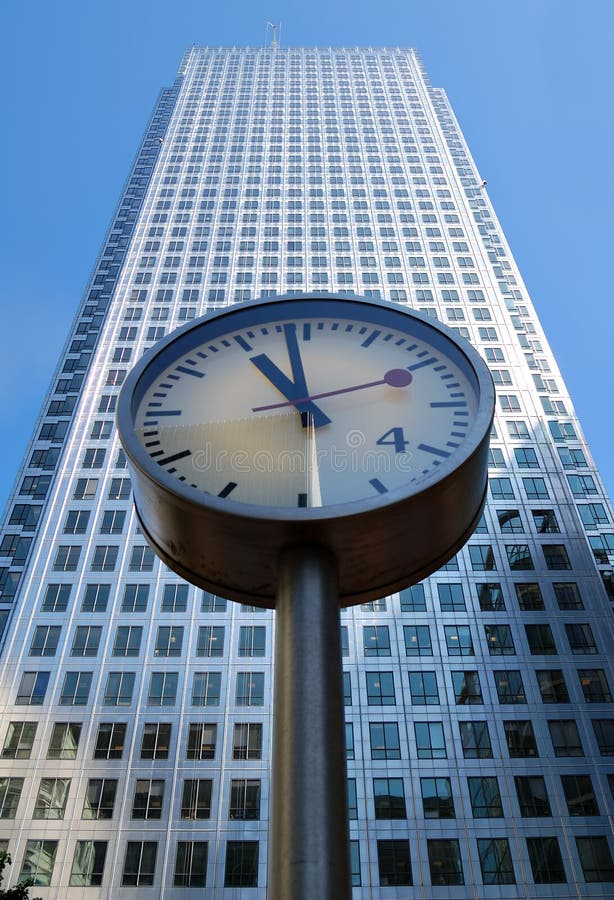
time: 10:58
